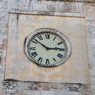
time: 2:51
